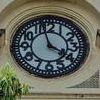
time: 3:57
